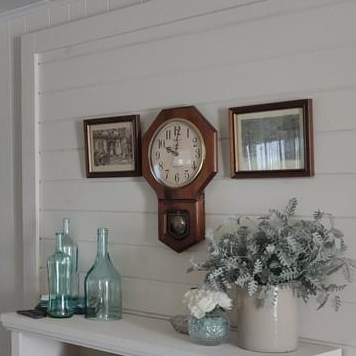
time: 10:00
